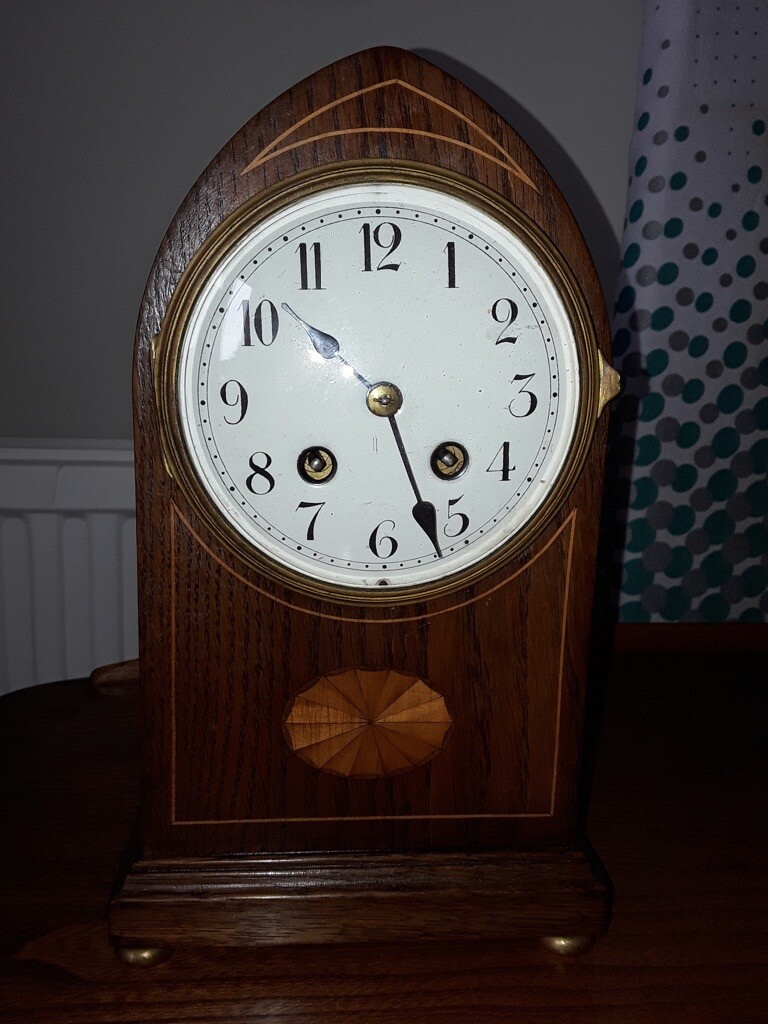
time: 10:26
